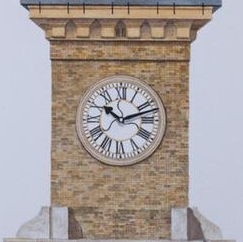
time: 10:12
